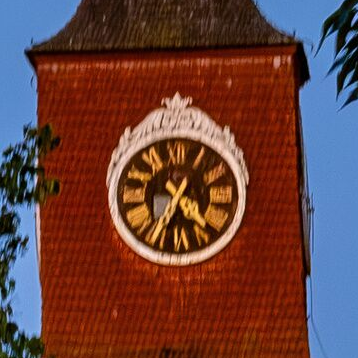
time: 4:35
